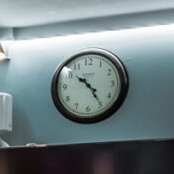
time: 10:24
